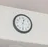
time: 12:30
